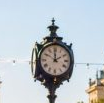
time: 2:00
